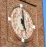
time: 4:59
